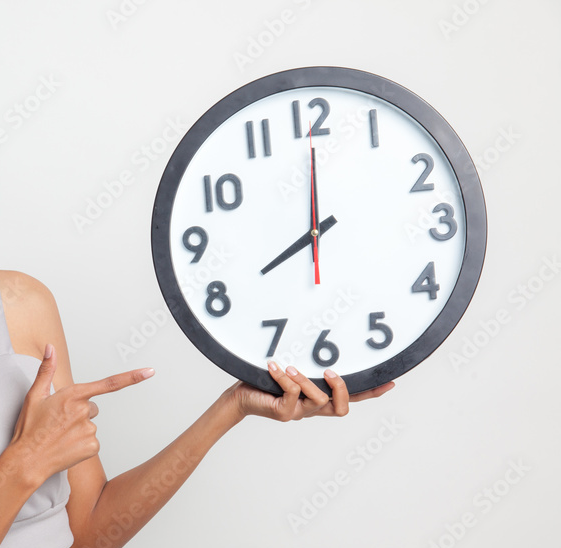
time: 8:00
